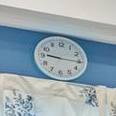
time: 9:15
